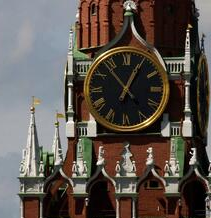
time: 12:53
